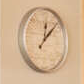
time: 12:07
